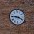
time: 3:46
